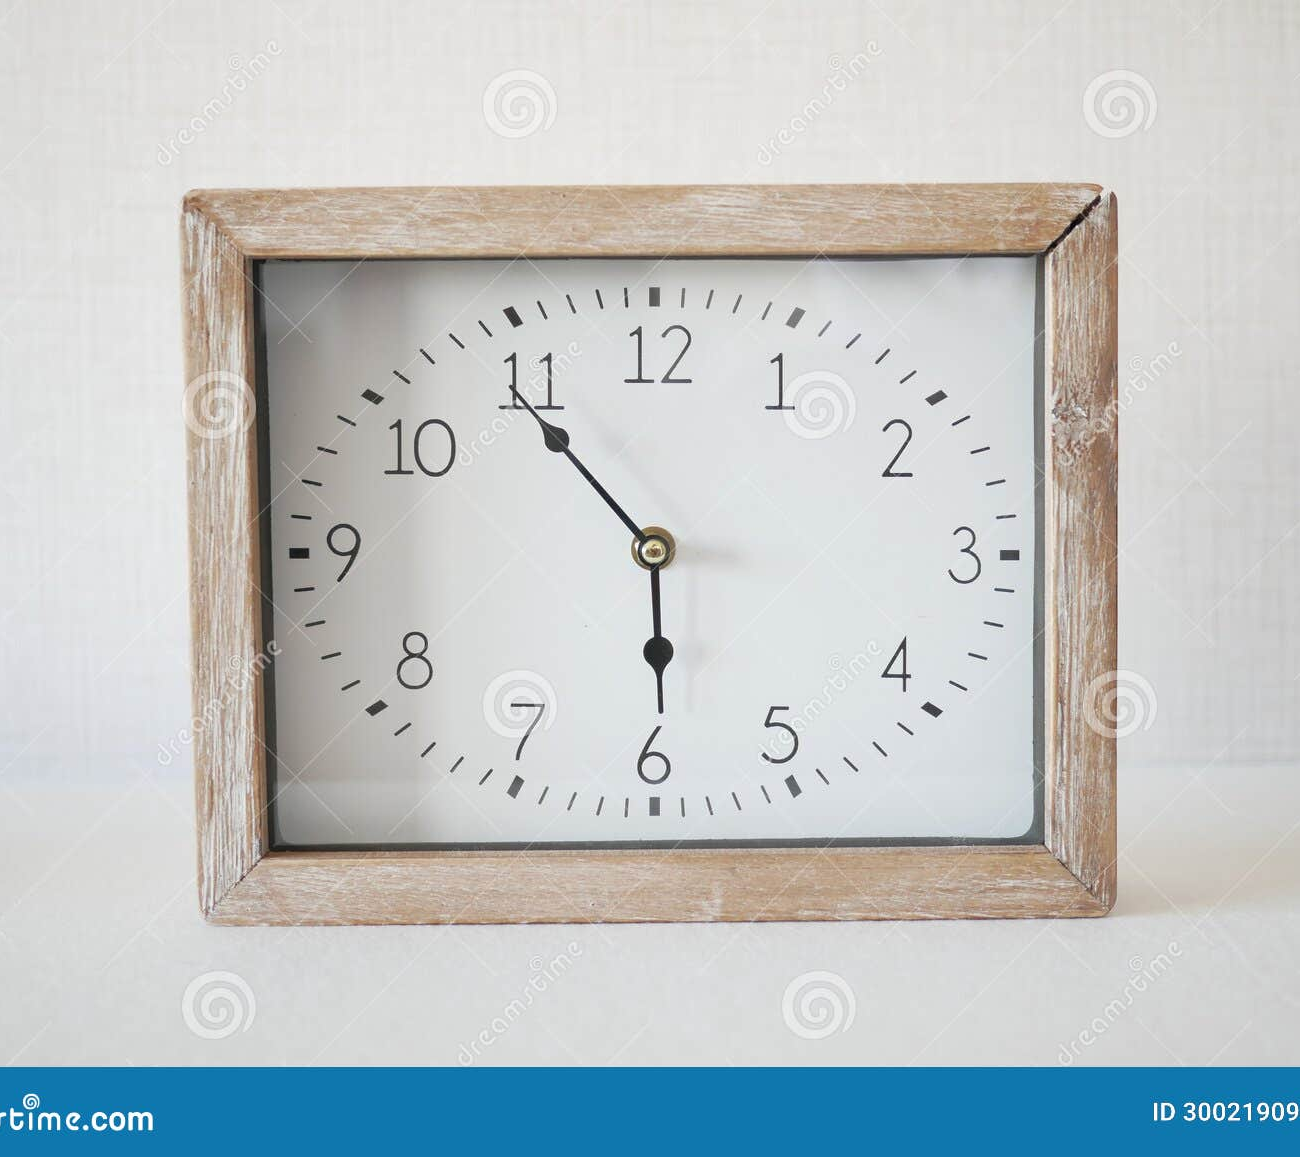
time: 5:54
